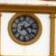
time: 2:23
